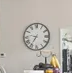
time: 9:35
